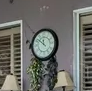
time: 11:51
